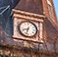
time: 8:32
